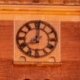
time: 8:01
